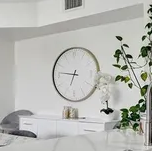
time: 6:46
